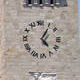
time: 5:06
